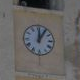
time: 12:05
